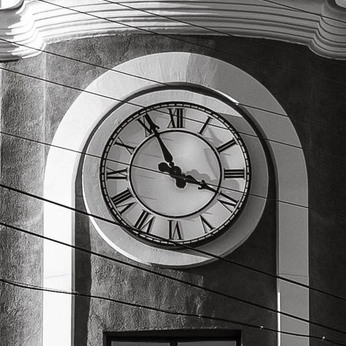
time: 3:55
